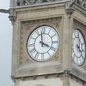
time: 3:58
